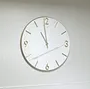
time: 10:59
